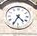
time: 4:34
